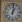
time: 1:01
